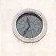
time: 11:35
